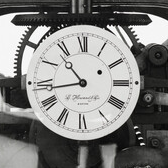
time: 10:43
